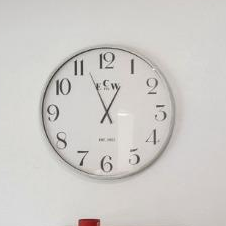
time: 12:56
